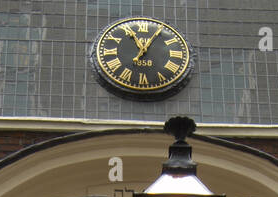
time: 11:04
